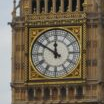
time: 11:50
